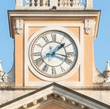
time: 1:18
